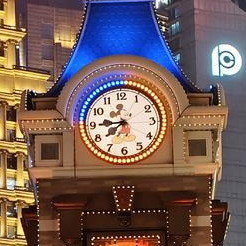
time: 7:44
